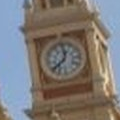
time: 12:38
